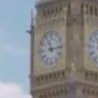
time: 11:13
